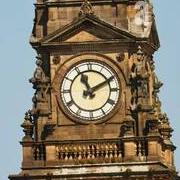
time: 11:10
